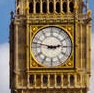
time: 2:47
